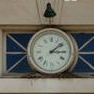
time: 3:08
